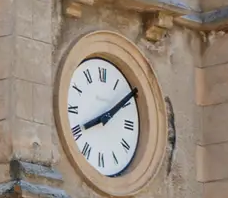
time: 8:09
